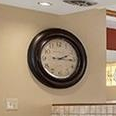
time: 2:15
